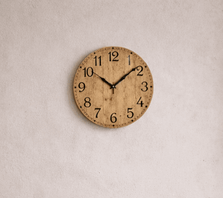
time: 10:08
